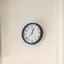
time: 12:37
